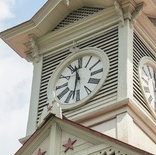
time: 11:32
